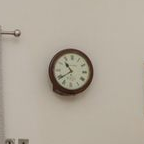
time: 10:39
